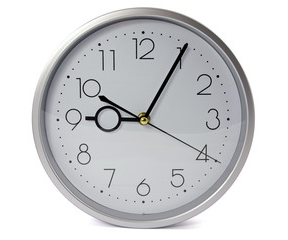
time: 9:05
